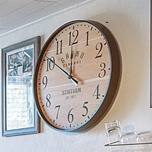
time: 11:50
